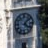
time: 4:07
